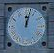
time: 12:02
